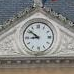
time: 8:51
